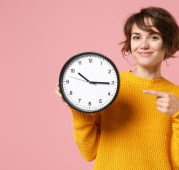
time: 10:15
